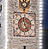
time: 4:59
